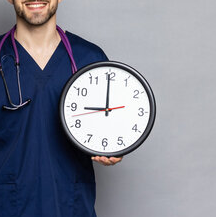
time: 8:59
